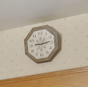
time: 9:13
